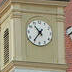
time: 10:36
